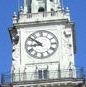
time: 8:51
